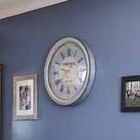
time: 9:38
